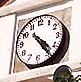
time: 4:23
